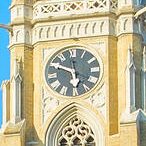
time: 5:49
